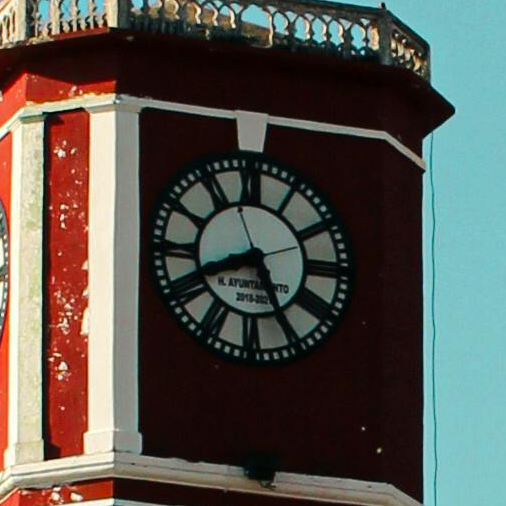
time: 8:25
